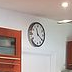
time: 11:21
